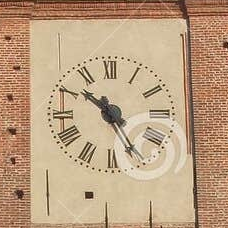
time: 10:25
